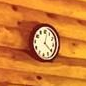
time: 4:02
